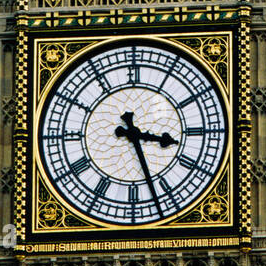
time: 3:26
